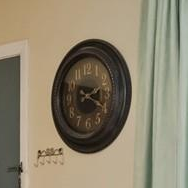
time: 2:19
